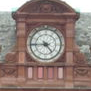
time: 4:44
